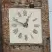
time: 12:48
